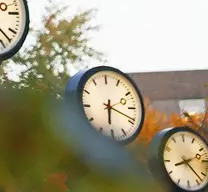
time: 6:18
